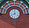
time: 8:01
